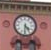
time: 4:31
